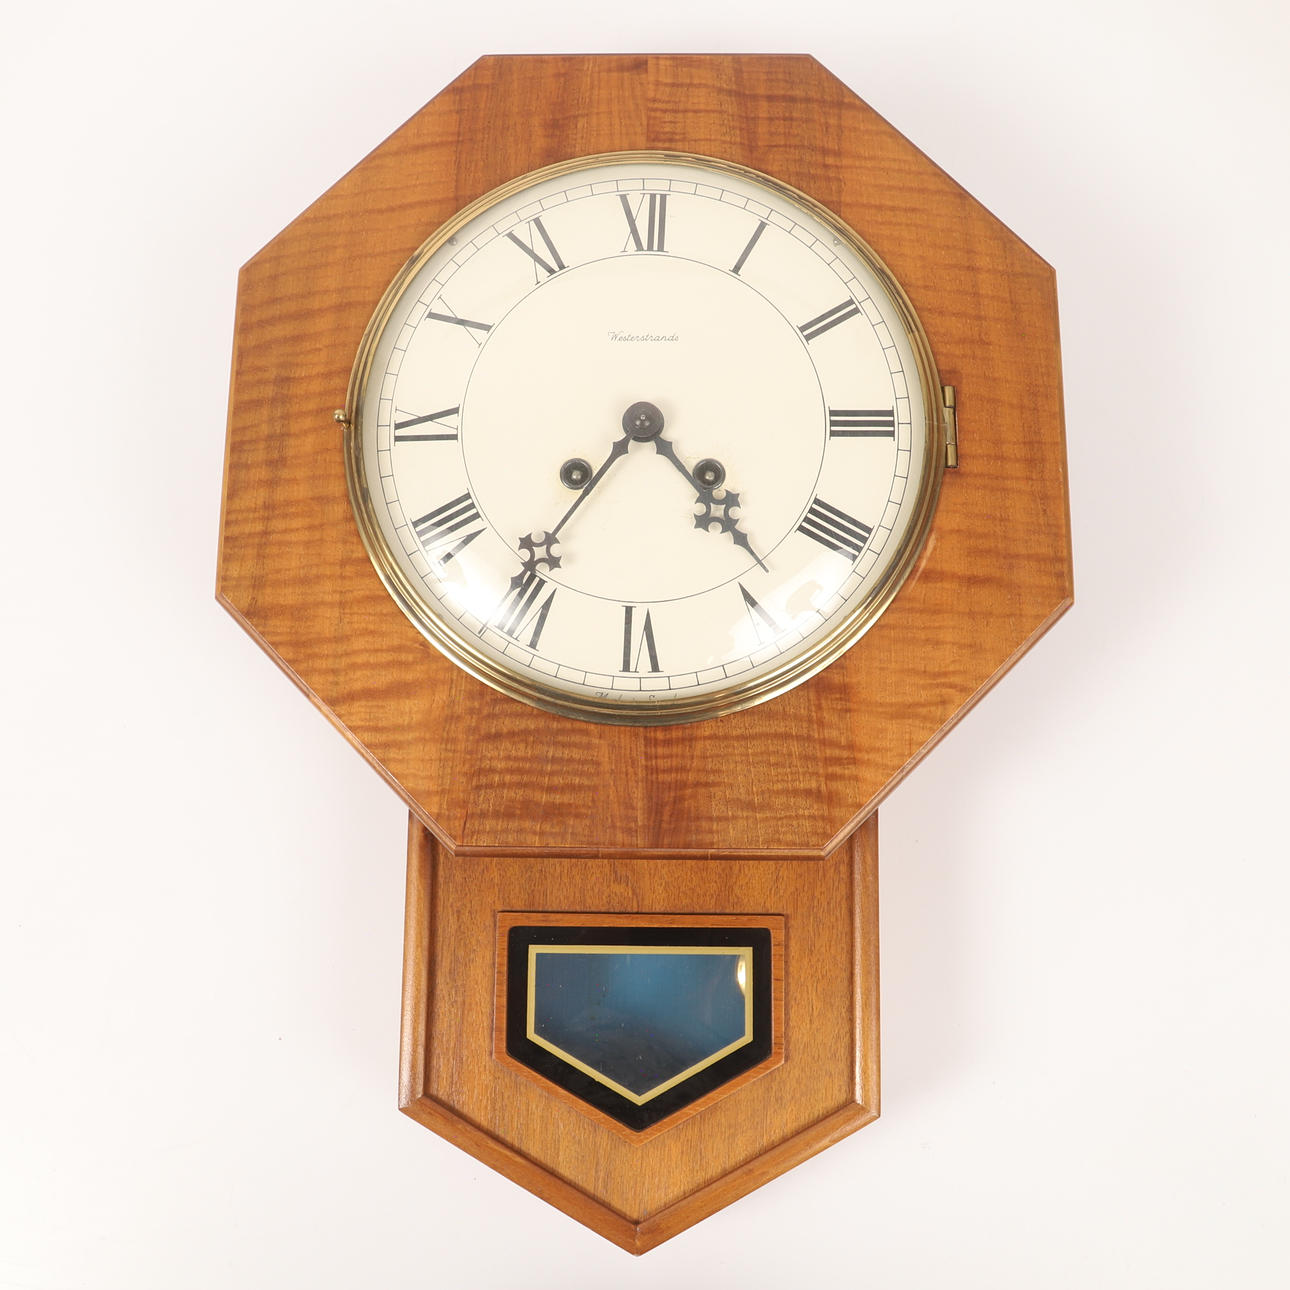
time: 4:35
